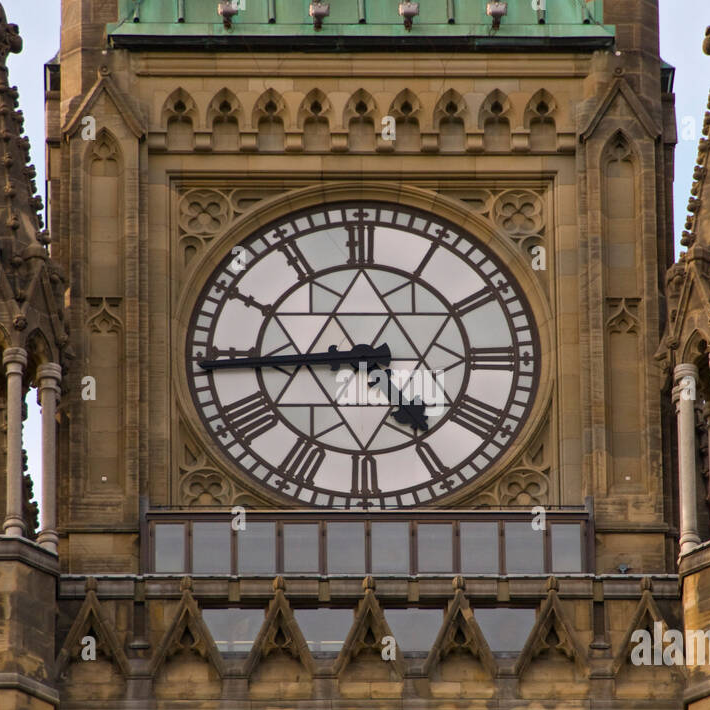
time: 4:44
